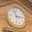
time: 2:56
